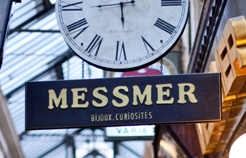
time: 5:43
